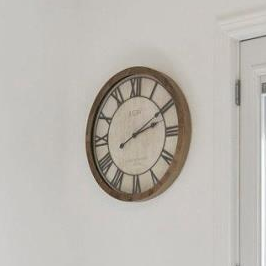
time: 2:09
